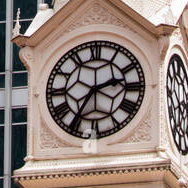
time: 2:35
